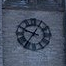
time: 9:35
